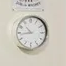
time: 10:43
